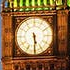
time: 5:29
